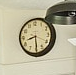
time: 8:29
